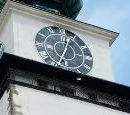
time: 12:33
